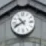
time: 10:41
